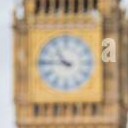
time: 10:45
